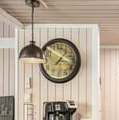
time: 7:17
